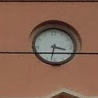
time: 3:32
